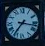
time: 7:16
